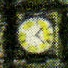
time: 1:22
